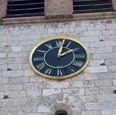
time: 2:02
